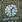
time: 1:29
